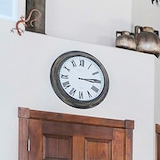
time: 3:14
